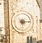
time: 6:14
